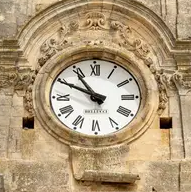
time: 10:49
